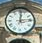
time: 12:14
